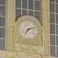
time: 7:12
